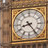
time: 8:24
